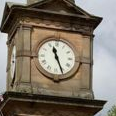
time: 11:26
